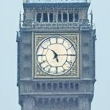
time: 5:14
